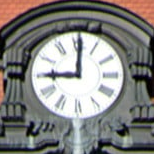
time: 9:00
